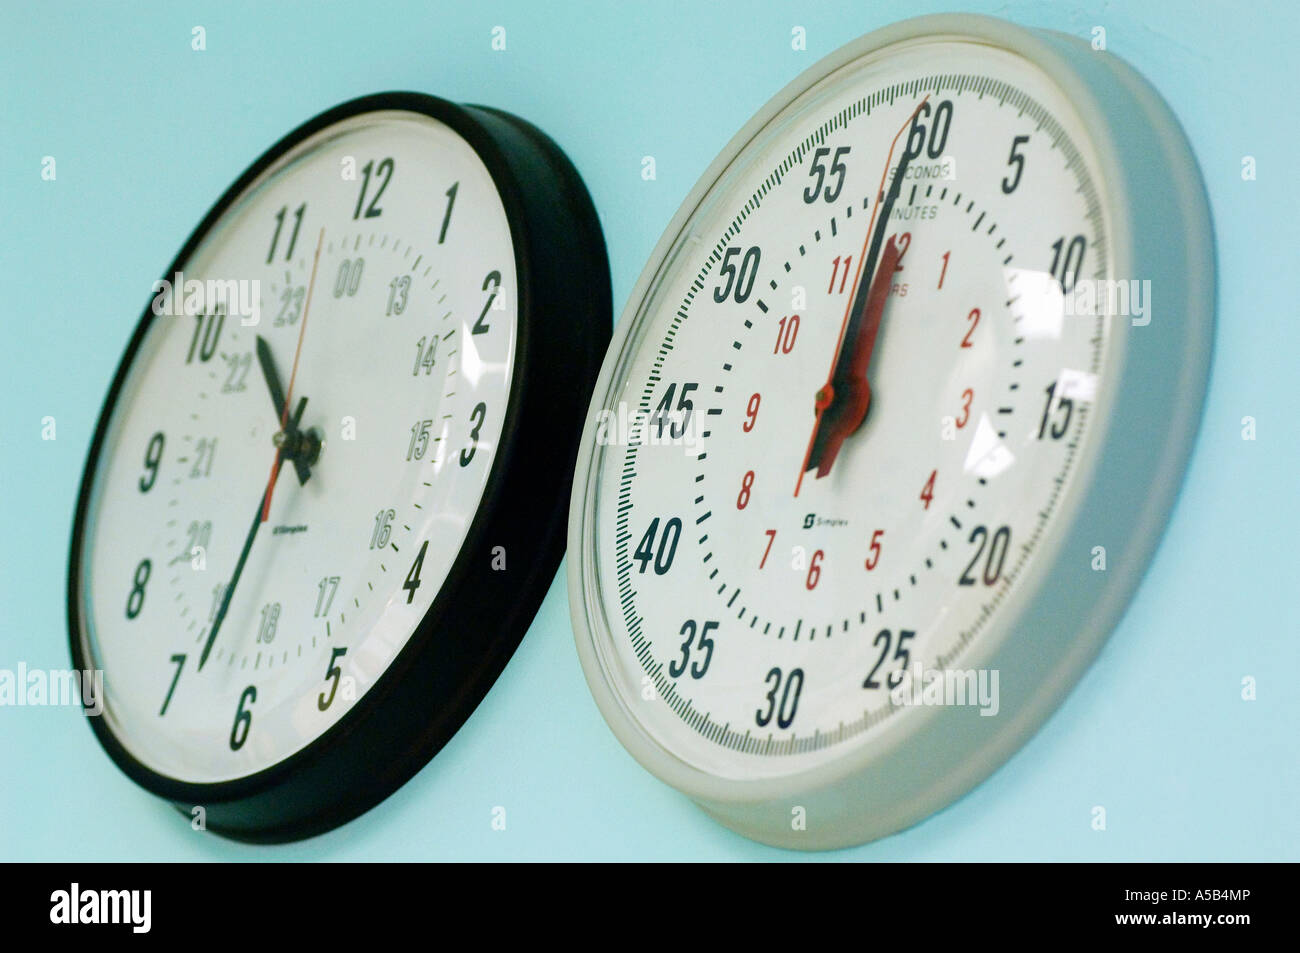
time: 10:33
